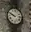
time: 9:48
